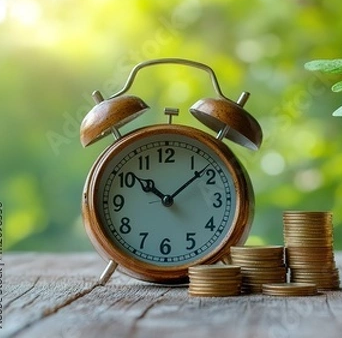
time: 10:08
